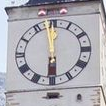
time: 5:58
